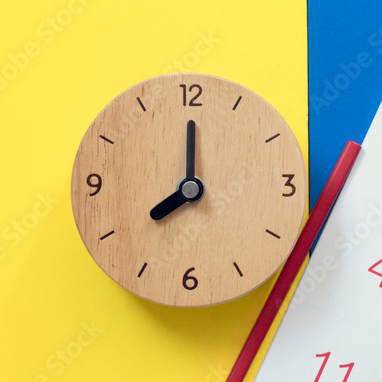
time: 8:00
